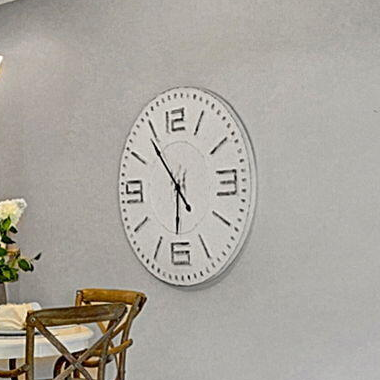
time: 5:53
